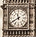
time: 11:40
